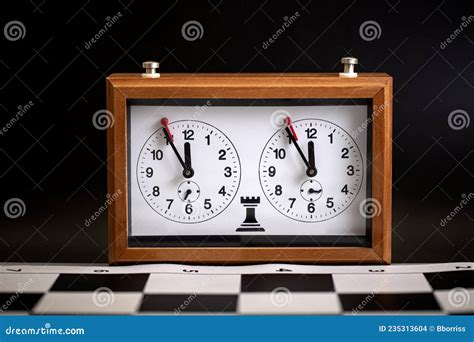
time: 11:54
